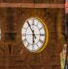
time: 5:54
